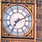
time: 7:11
